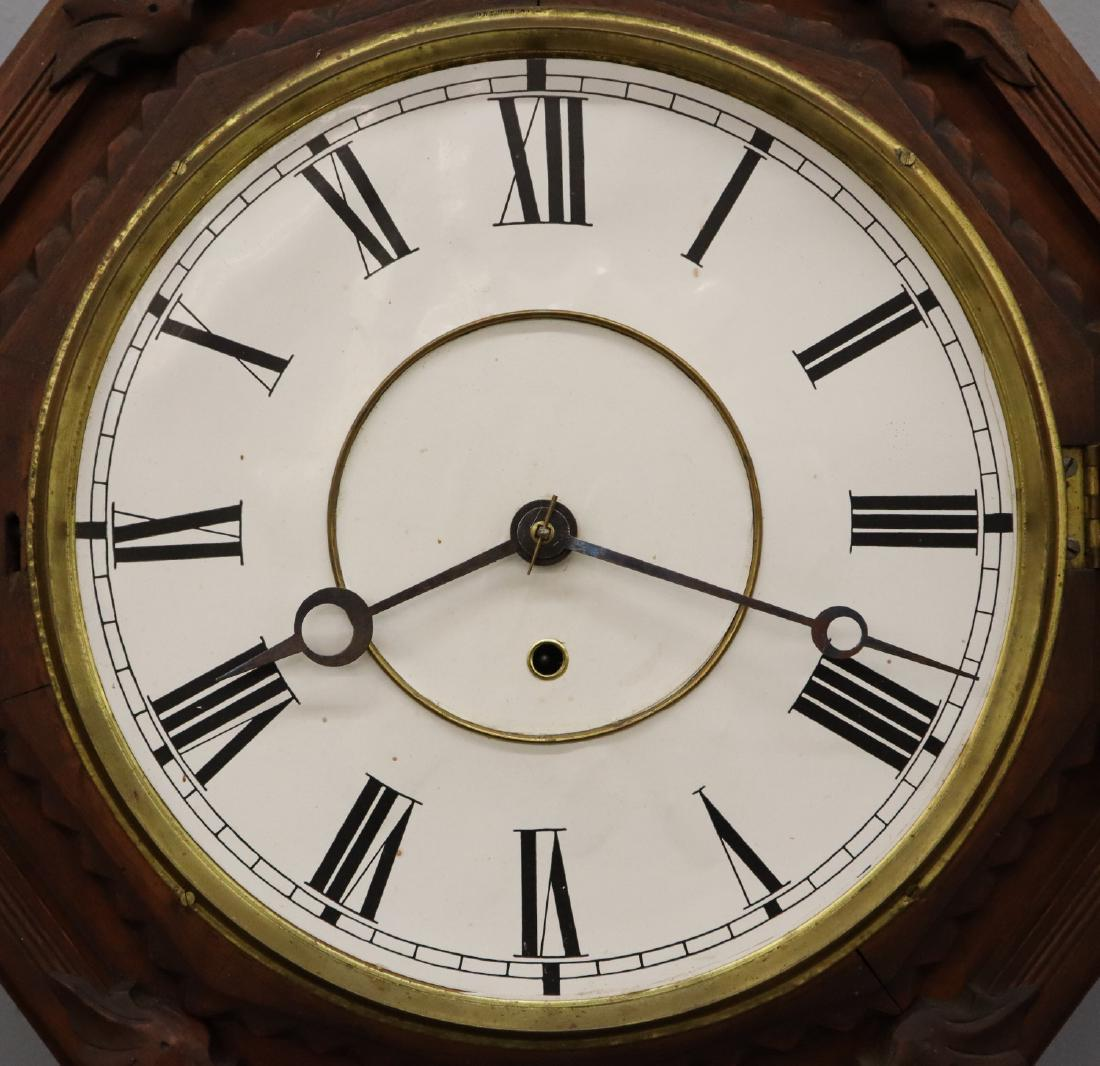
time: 3:40
